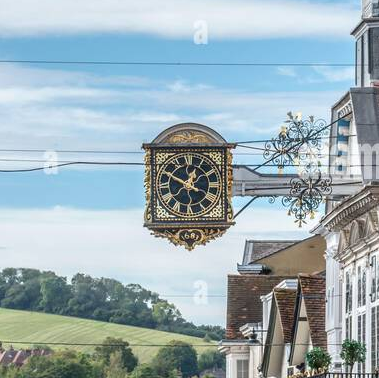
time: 12:49
